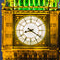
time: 8:20
